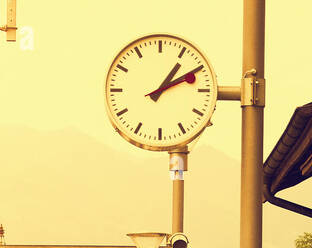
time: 1:10
